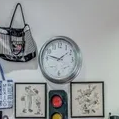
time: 1:47
